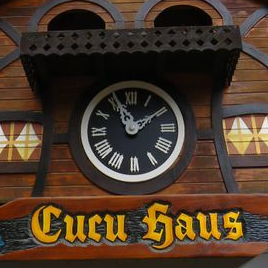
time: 11:09
